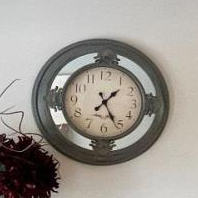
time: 1:26
